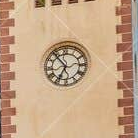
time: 6:53
